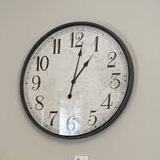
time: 1:01
